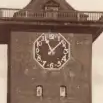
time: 11:07
